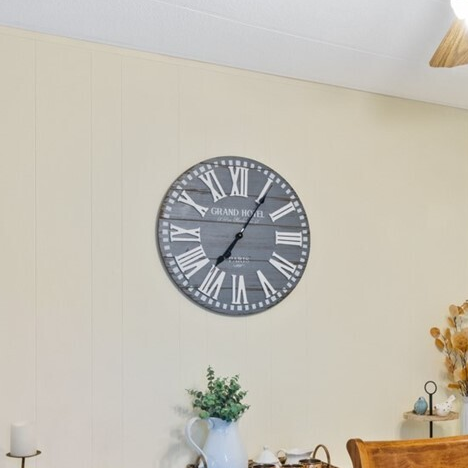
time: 7:05
